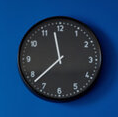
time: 11:37
